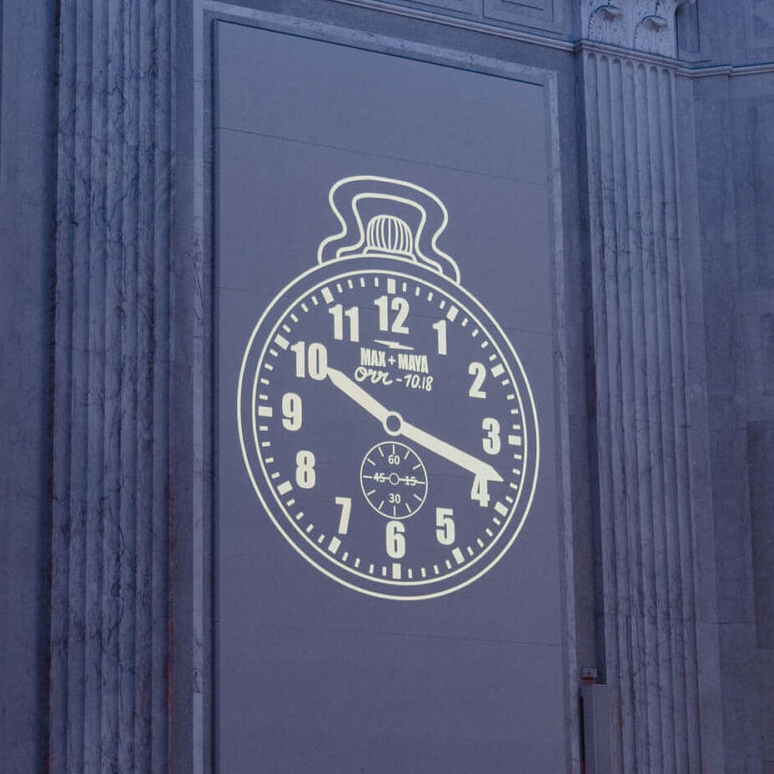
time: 10:18
